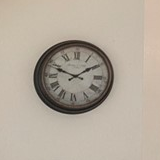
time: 1:48
